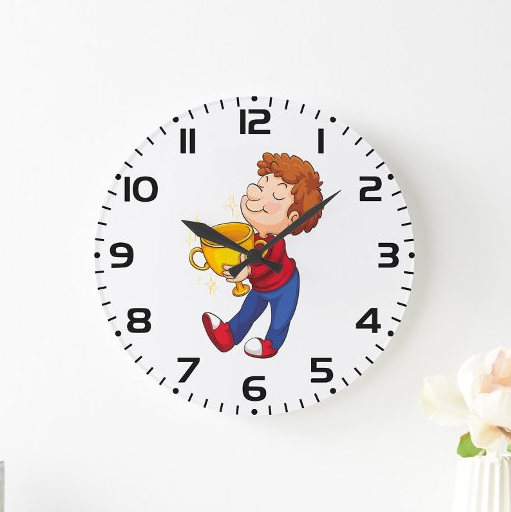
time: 1:49
